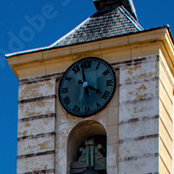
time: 3:58
